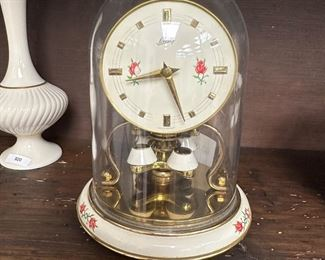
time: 8:26
